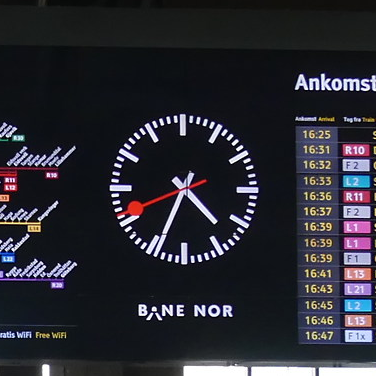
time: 4:34
